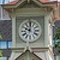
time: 10:00
